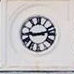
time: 9:12
